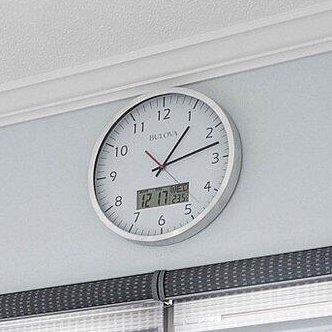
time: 1:12
